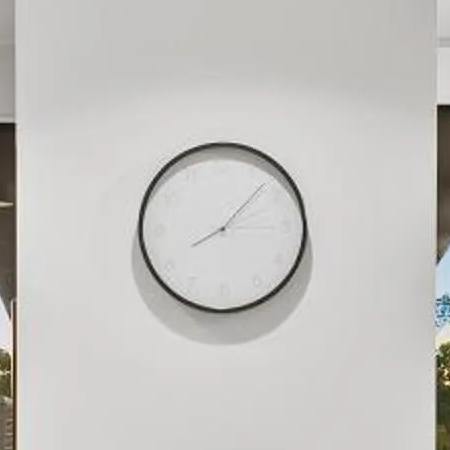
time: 8:07
